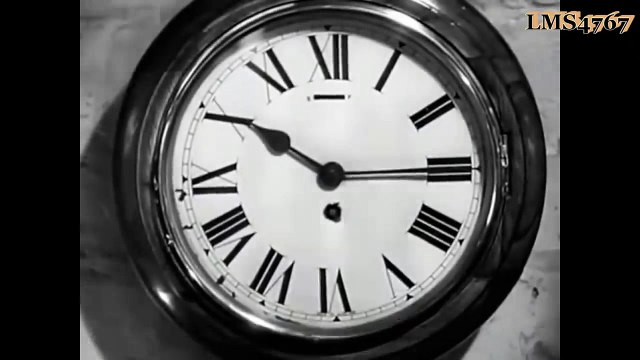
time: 10:14
